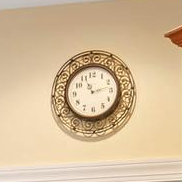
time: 11:13
